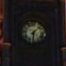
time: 6:07
